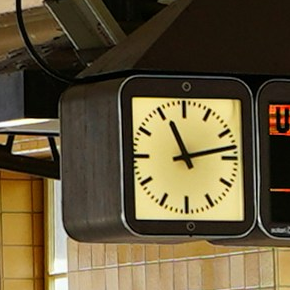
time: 11:13
